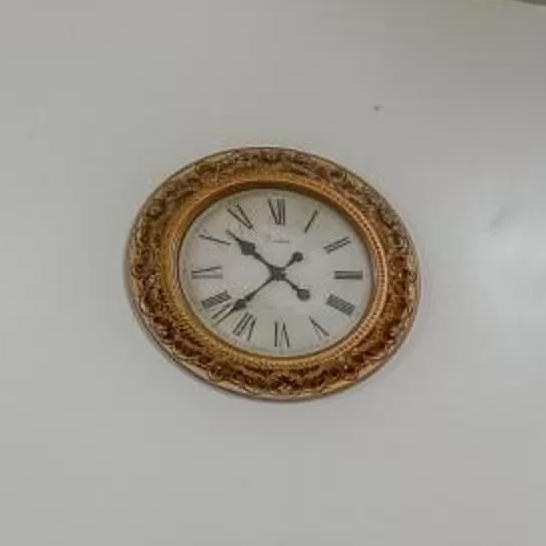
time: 10:37
